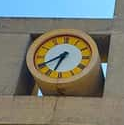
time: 6:40
